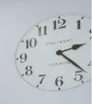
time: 2:22
